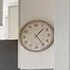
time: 1:24
